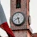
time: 8:27
